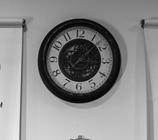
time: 3:07
